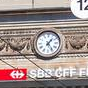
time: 1:24
